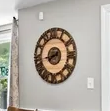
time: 7:42
